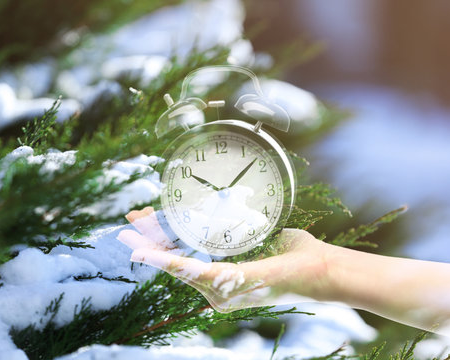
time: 10:07
